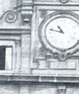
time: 10:47
